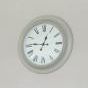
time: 12:46
